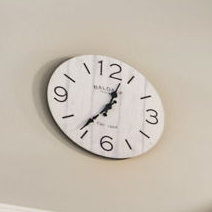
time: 12:36
